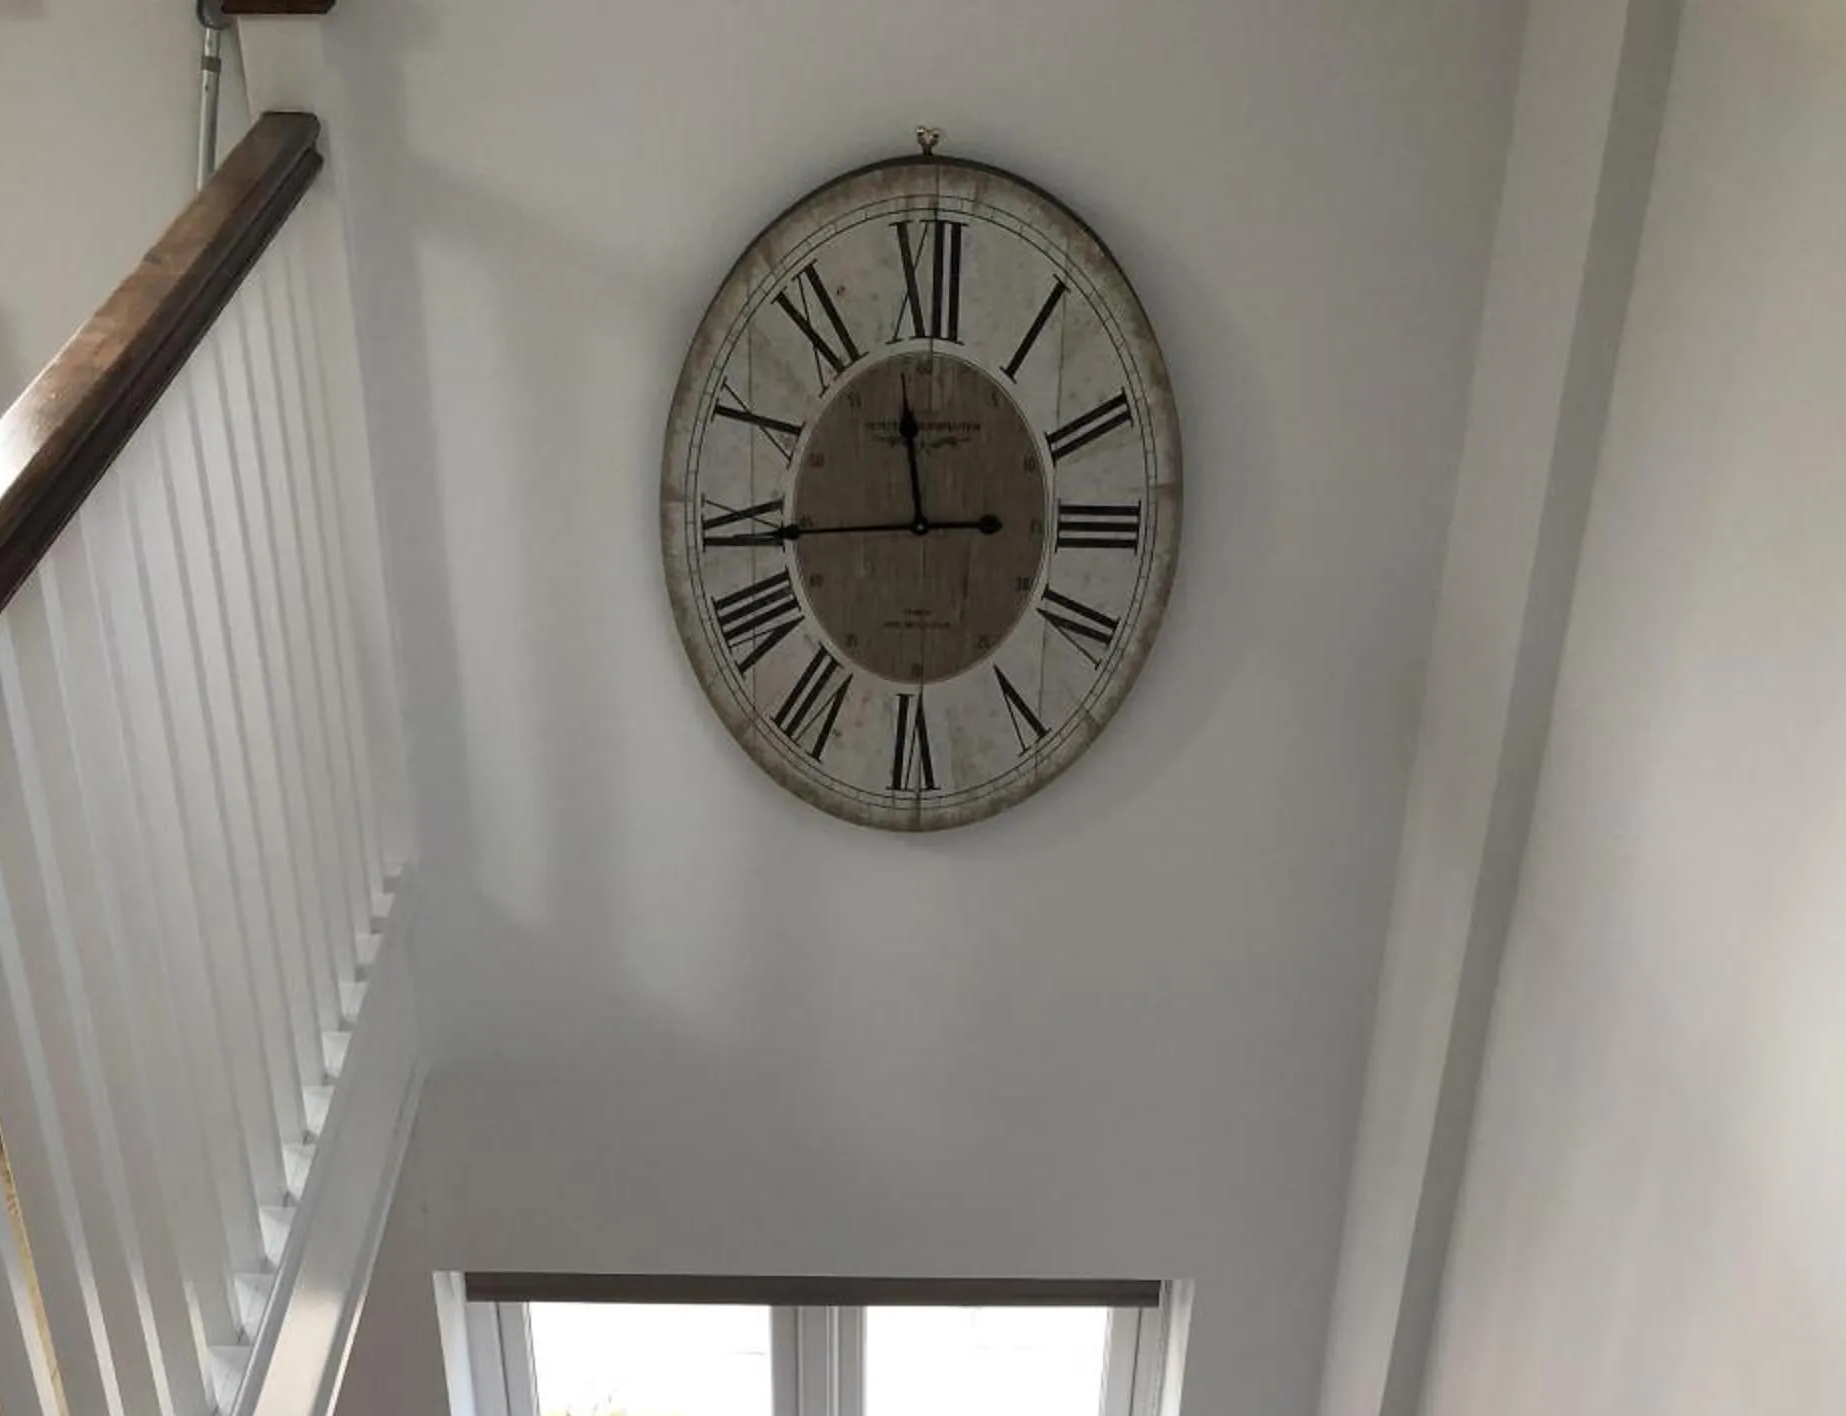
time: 11:44
